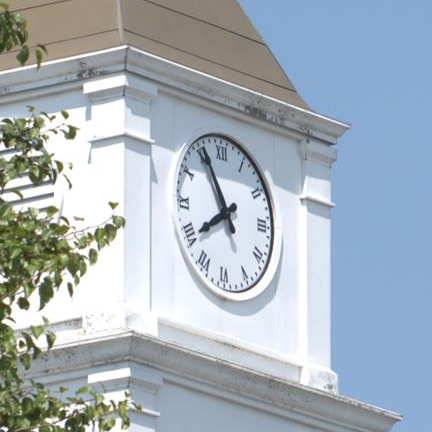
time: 7:55
